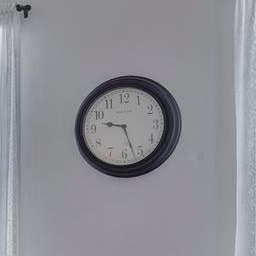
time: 9:26
